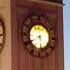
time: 5:40
